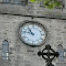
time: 10:47
